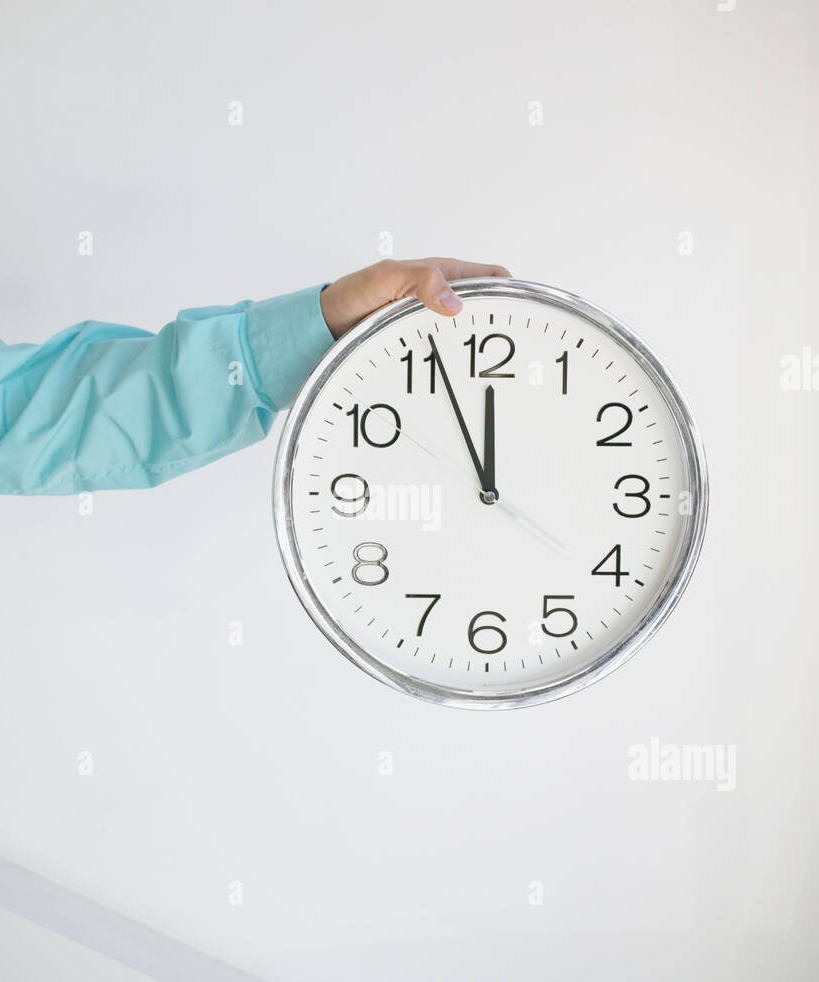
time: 11:56
